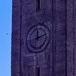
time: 12:11
